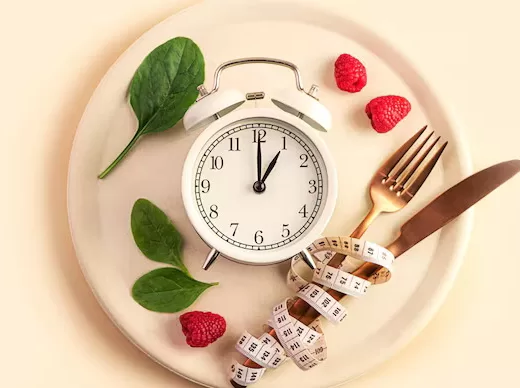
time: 1:00
